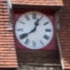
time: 12:39
